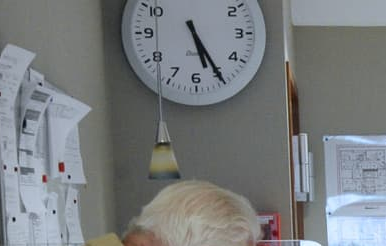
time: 5:24
